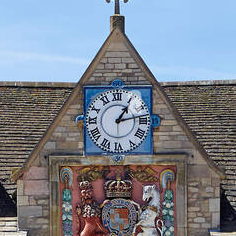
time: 1:13
